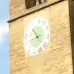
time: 10:41
